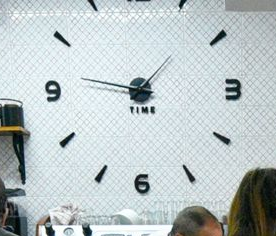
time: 1:46
